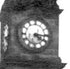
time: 4:15
